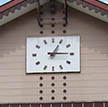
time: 1:14
